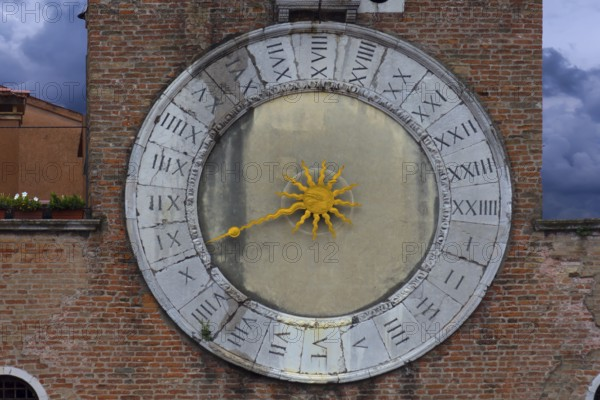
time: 8:41
